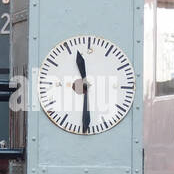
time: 11:29
